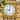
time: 9:01
